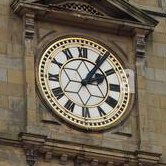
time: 2:06
